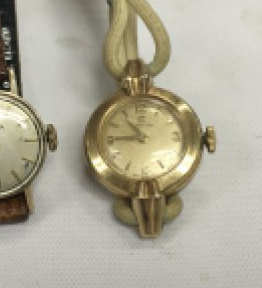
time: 10:44
